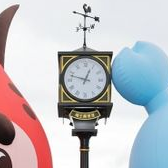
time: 12:47
